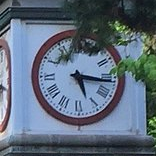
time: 5:16
